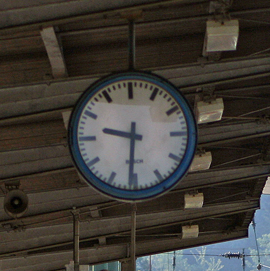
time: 9:31
